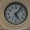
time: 5:06
